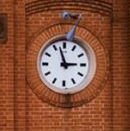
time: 2:57
